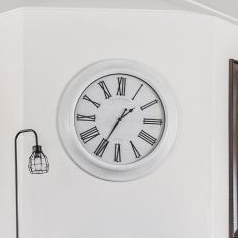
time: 1:34
